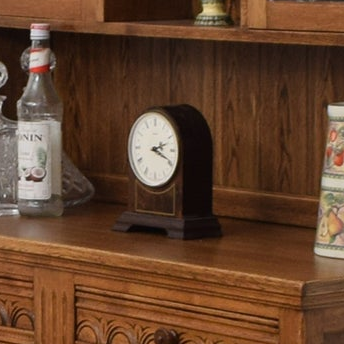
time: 2:18
